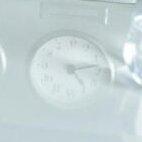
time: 4:12
